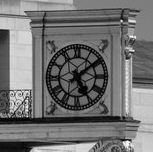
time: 5:08
